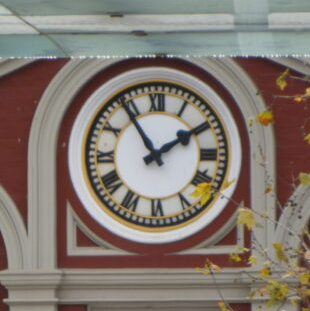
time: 1:54
